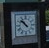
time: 10:52
